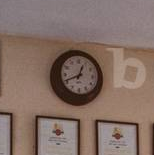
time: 12:41
